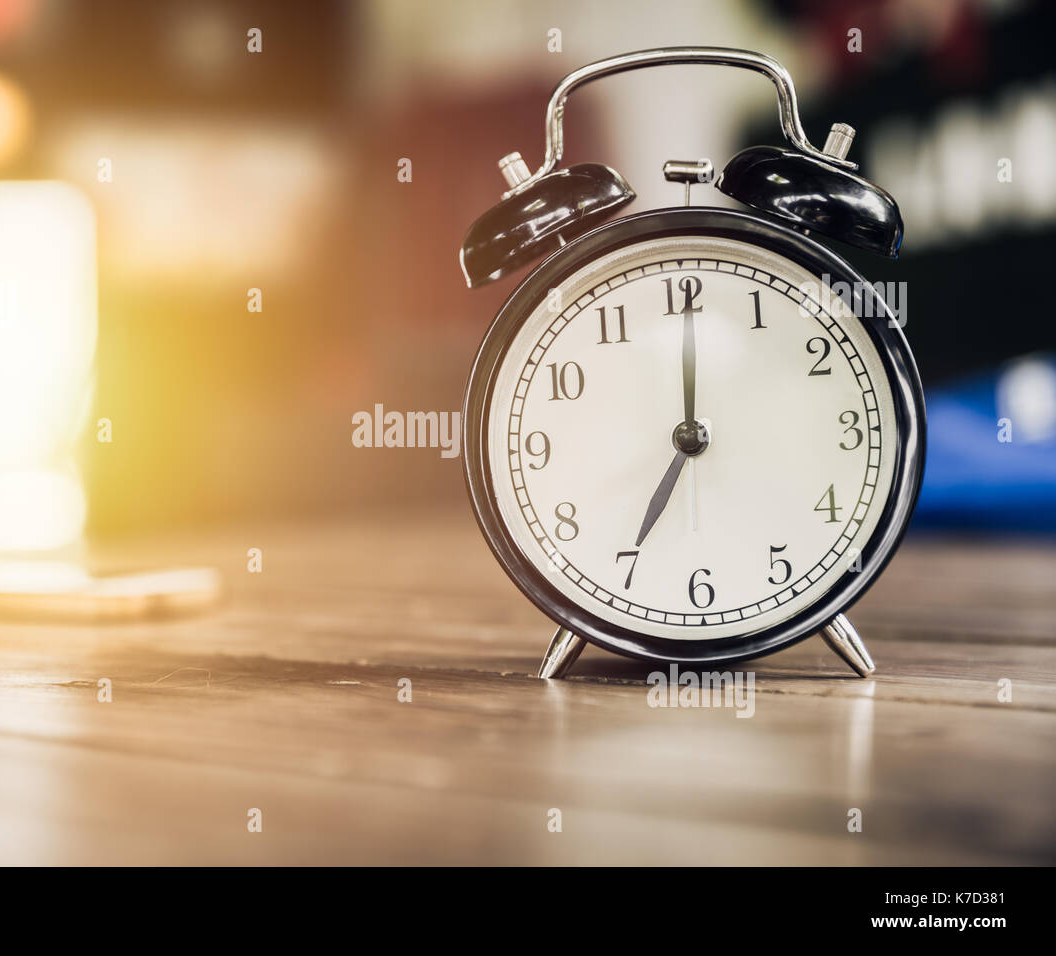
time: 7:00
